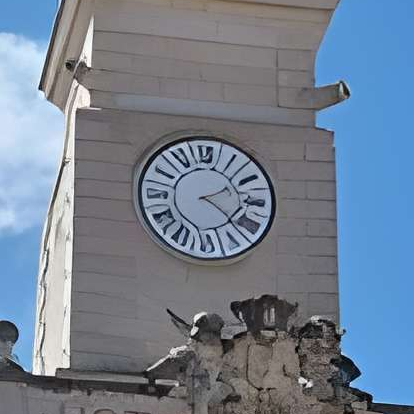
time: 2:21
